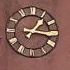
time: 1:16
